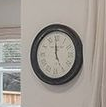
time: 4:59
